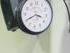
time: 3:40
